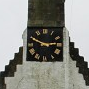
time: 2:49
